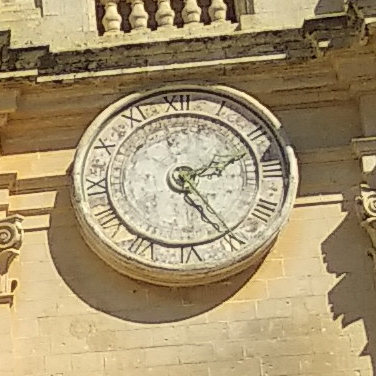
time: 2:25
